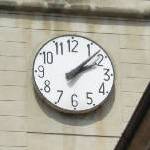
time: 2:07
